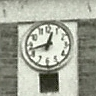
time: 12:42
